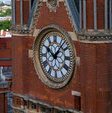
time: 10:07
